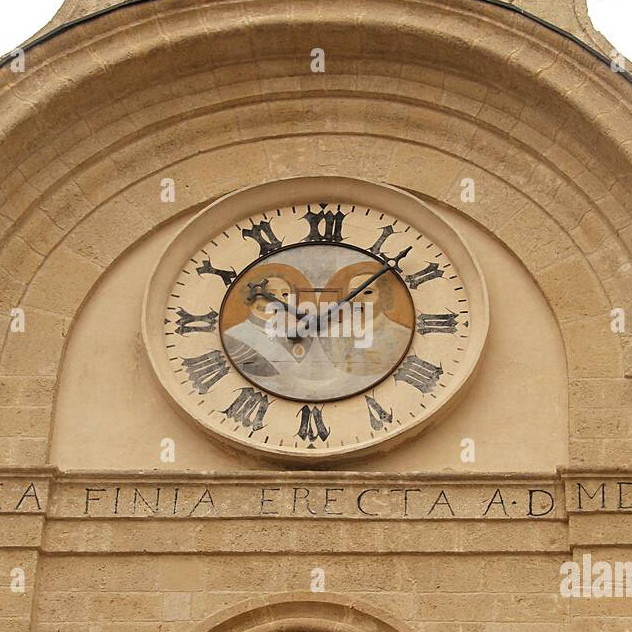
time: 10:07
